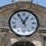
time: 12:55
